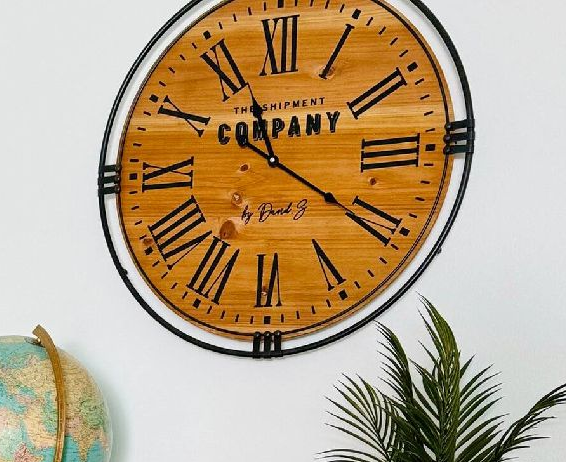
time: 11:20
